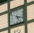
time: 5:18
